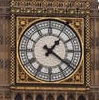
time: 1:21
